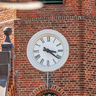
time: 3:21
